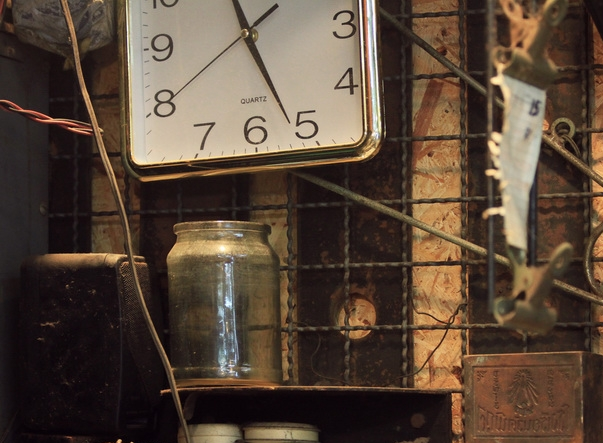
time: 11:26
